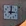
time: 3:01
